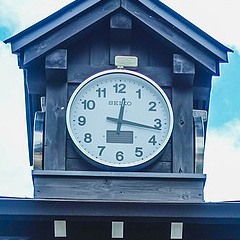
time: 12:16
